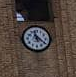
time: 11:20
